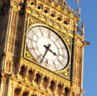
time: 3:33
